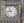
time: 10:43
